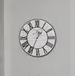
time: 1:34
